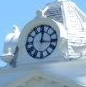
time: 12:16
